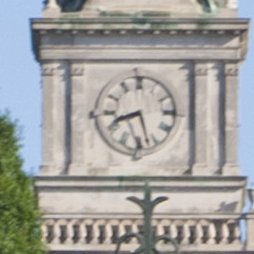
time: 8:27
